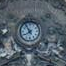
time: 7:54
